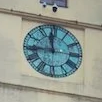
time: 11:44
